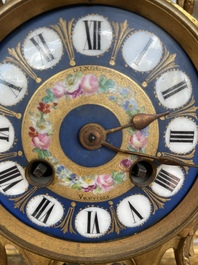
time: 2:18
